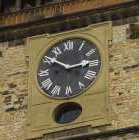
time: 2:50
